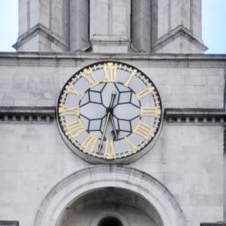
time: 12:28
